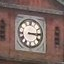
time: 3:14
